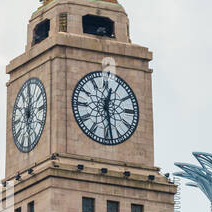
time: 12:28
